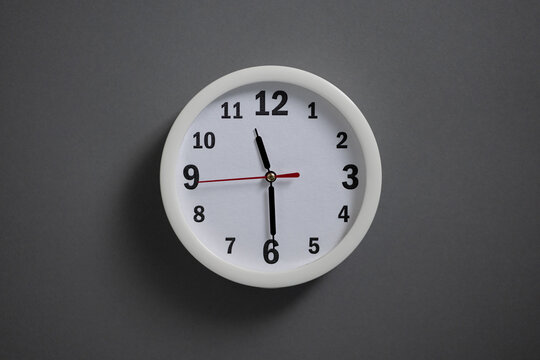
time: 11:29
